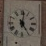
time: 5:01
